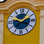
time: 1:49
